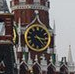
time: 3:22
